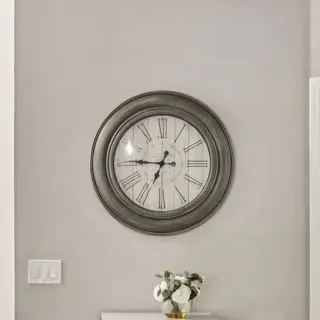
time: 6:45
